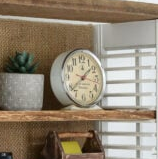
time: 1:38
